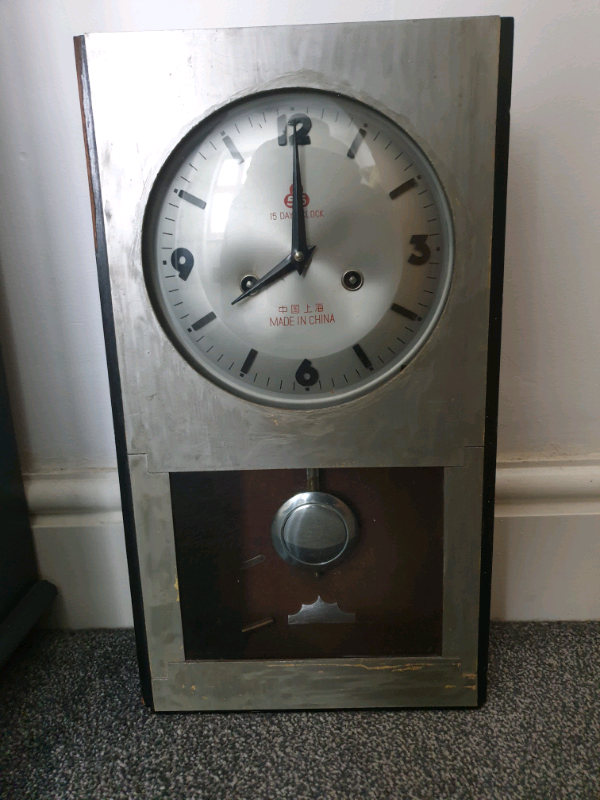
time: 8:00
